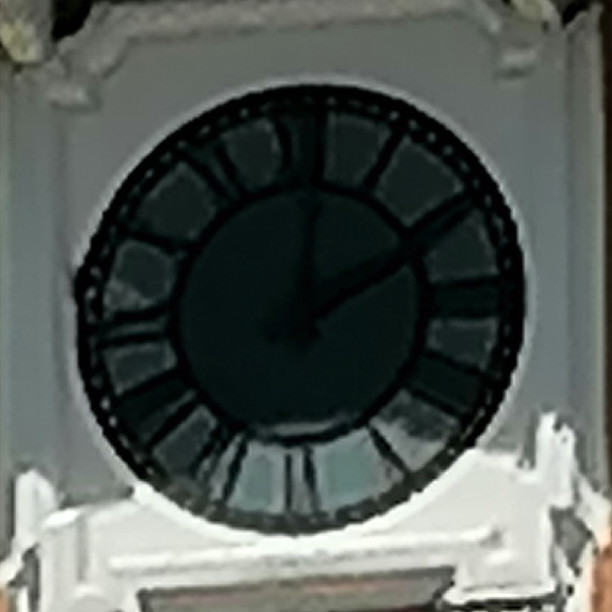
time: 2:01
